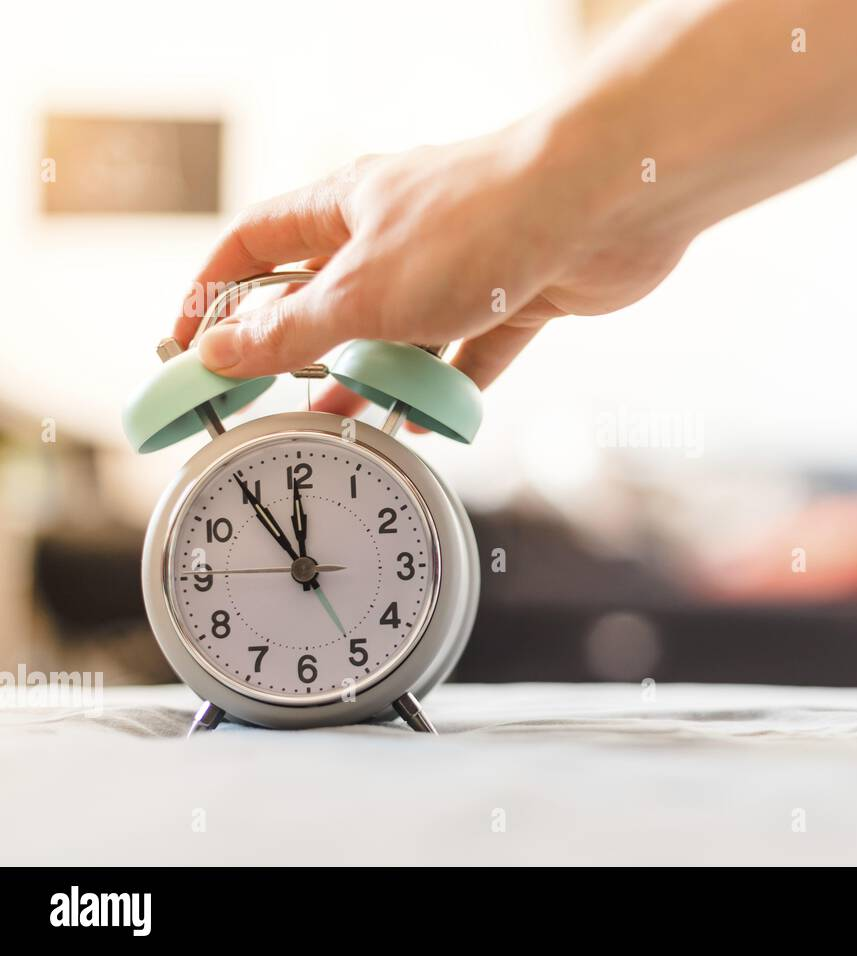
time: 11:54
